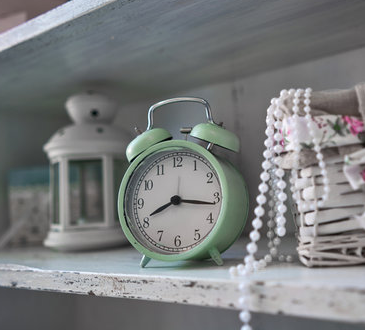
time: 8:16
